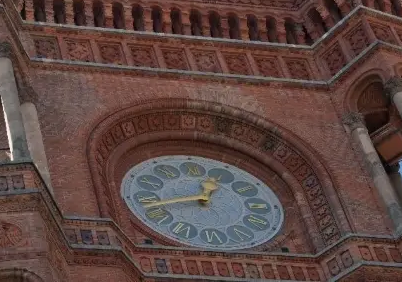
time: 12:42
